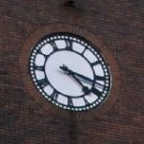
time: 4:17
